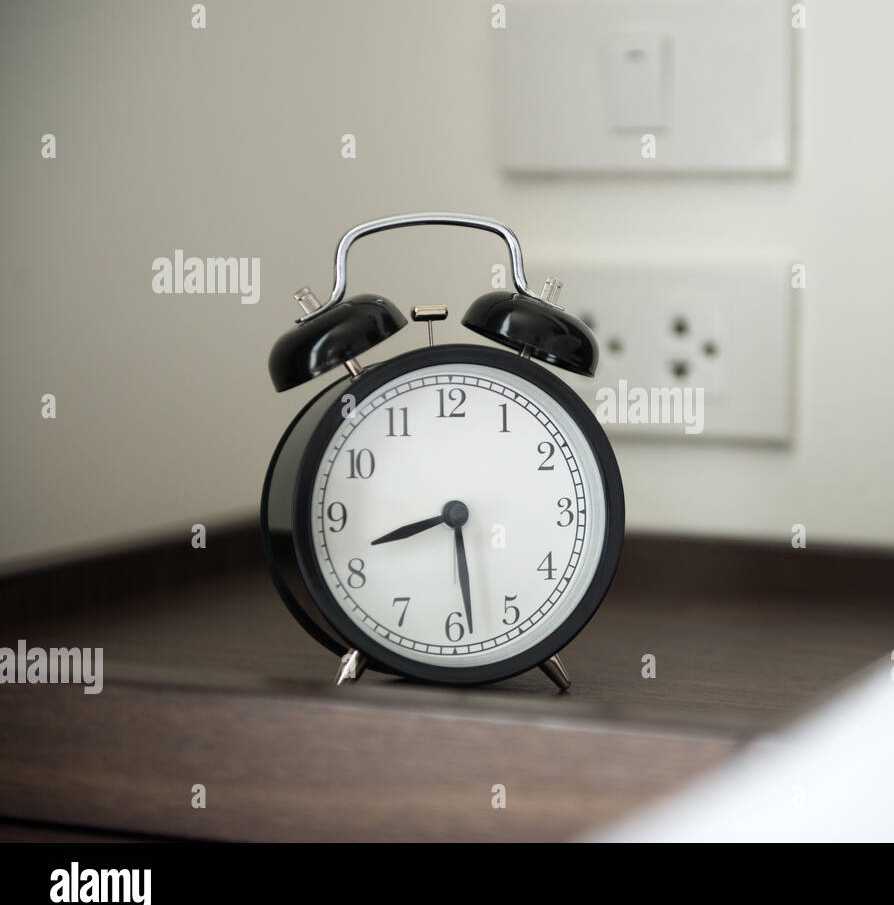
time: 8:28
